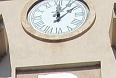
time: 12:07
